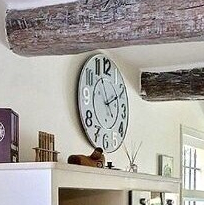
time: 2:11
